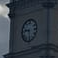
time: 9:28
